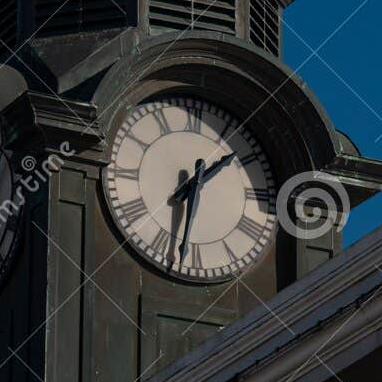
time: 1:32
